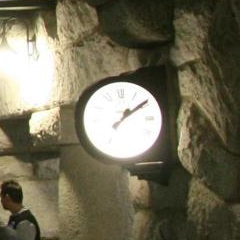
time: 1:09
